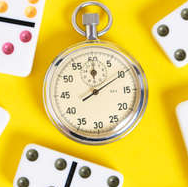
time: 12:09
